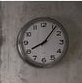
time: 8:06
